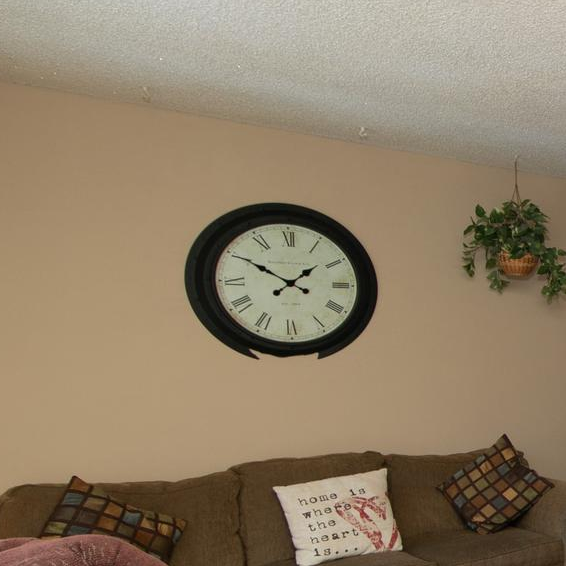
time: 1:50
